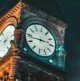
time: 2:43
